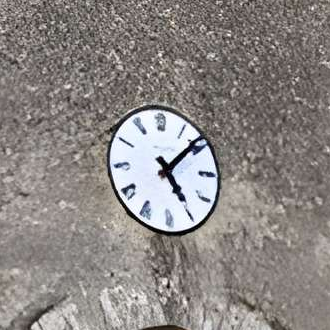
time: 5:08
